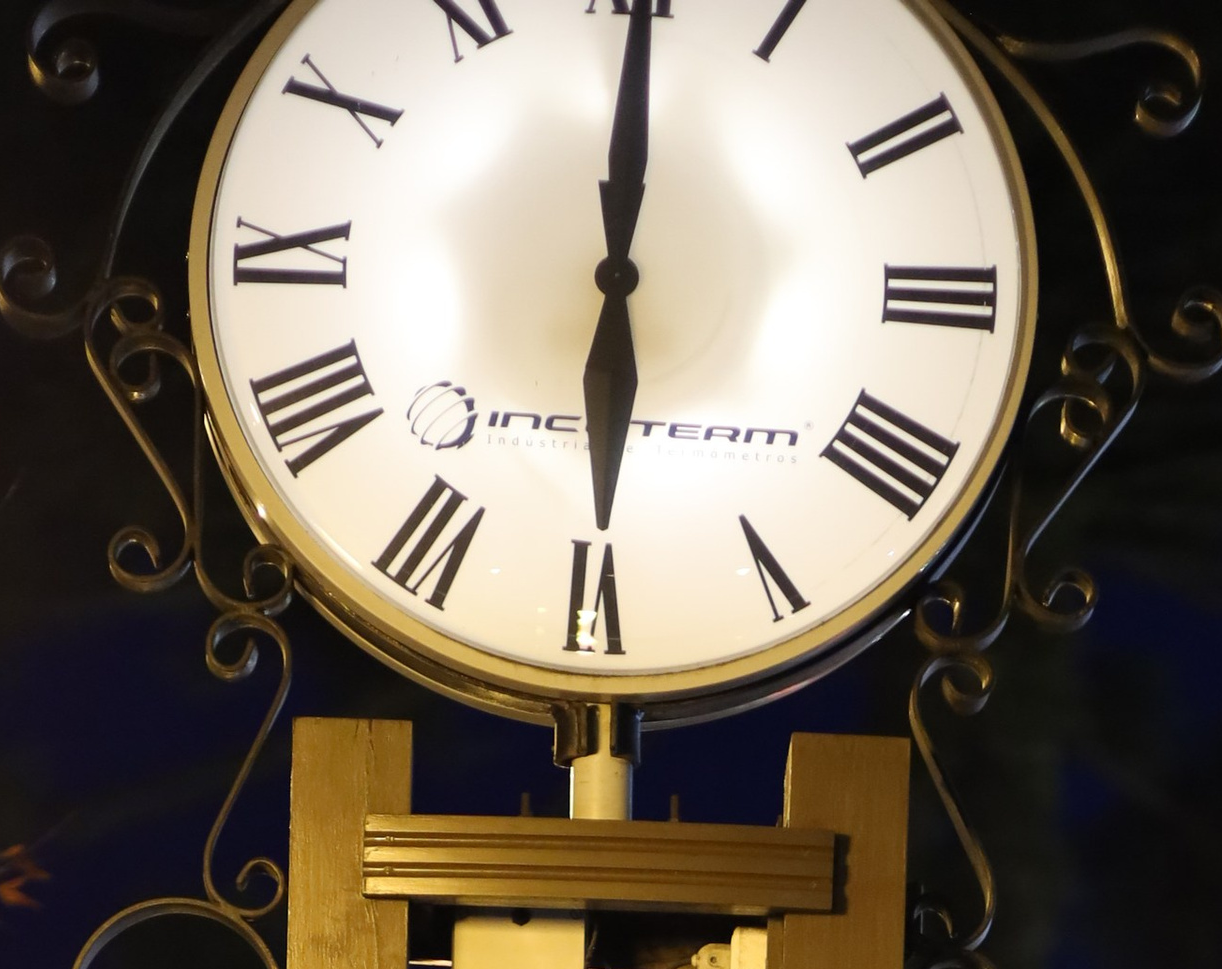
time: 6:00
